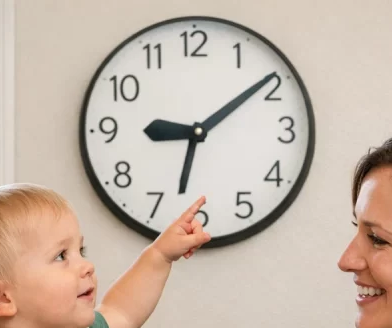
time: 9:09
